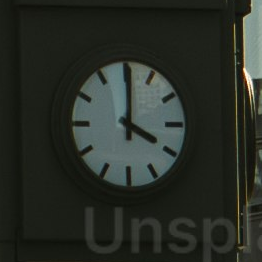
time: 4:00
